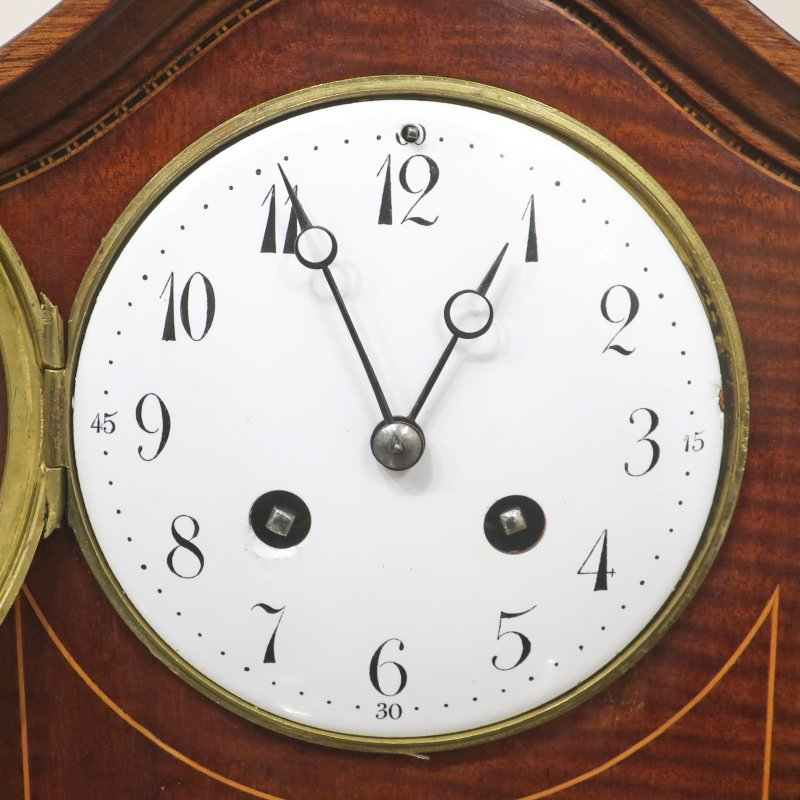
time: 12:55
